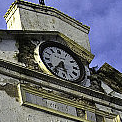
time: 5:36
